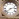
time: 2:38
